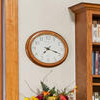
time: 7:18
